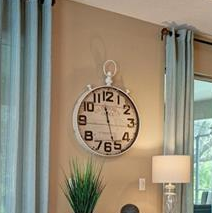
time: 11:27
